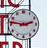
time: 2:46
